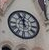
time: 11:55
